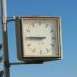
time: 8:45
